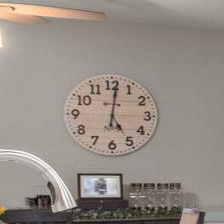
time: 5:01
